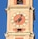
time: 8:03
